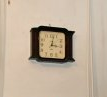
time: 3:02
